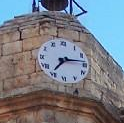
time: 7:13
